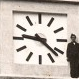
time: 9:22
